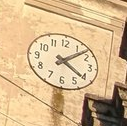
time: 4:07
